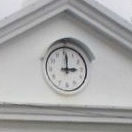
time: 3:00
